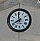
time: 7:58
